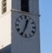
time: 12:34
